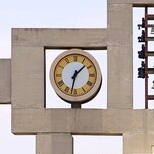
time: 1:32
